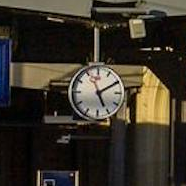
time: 5:10
